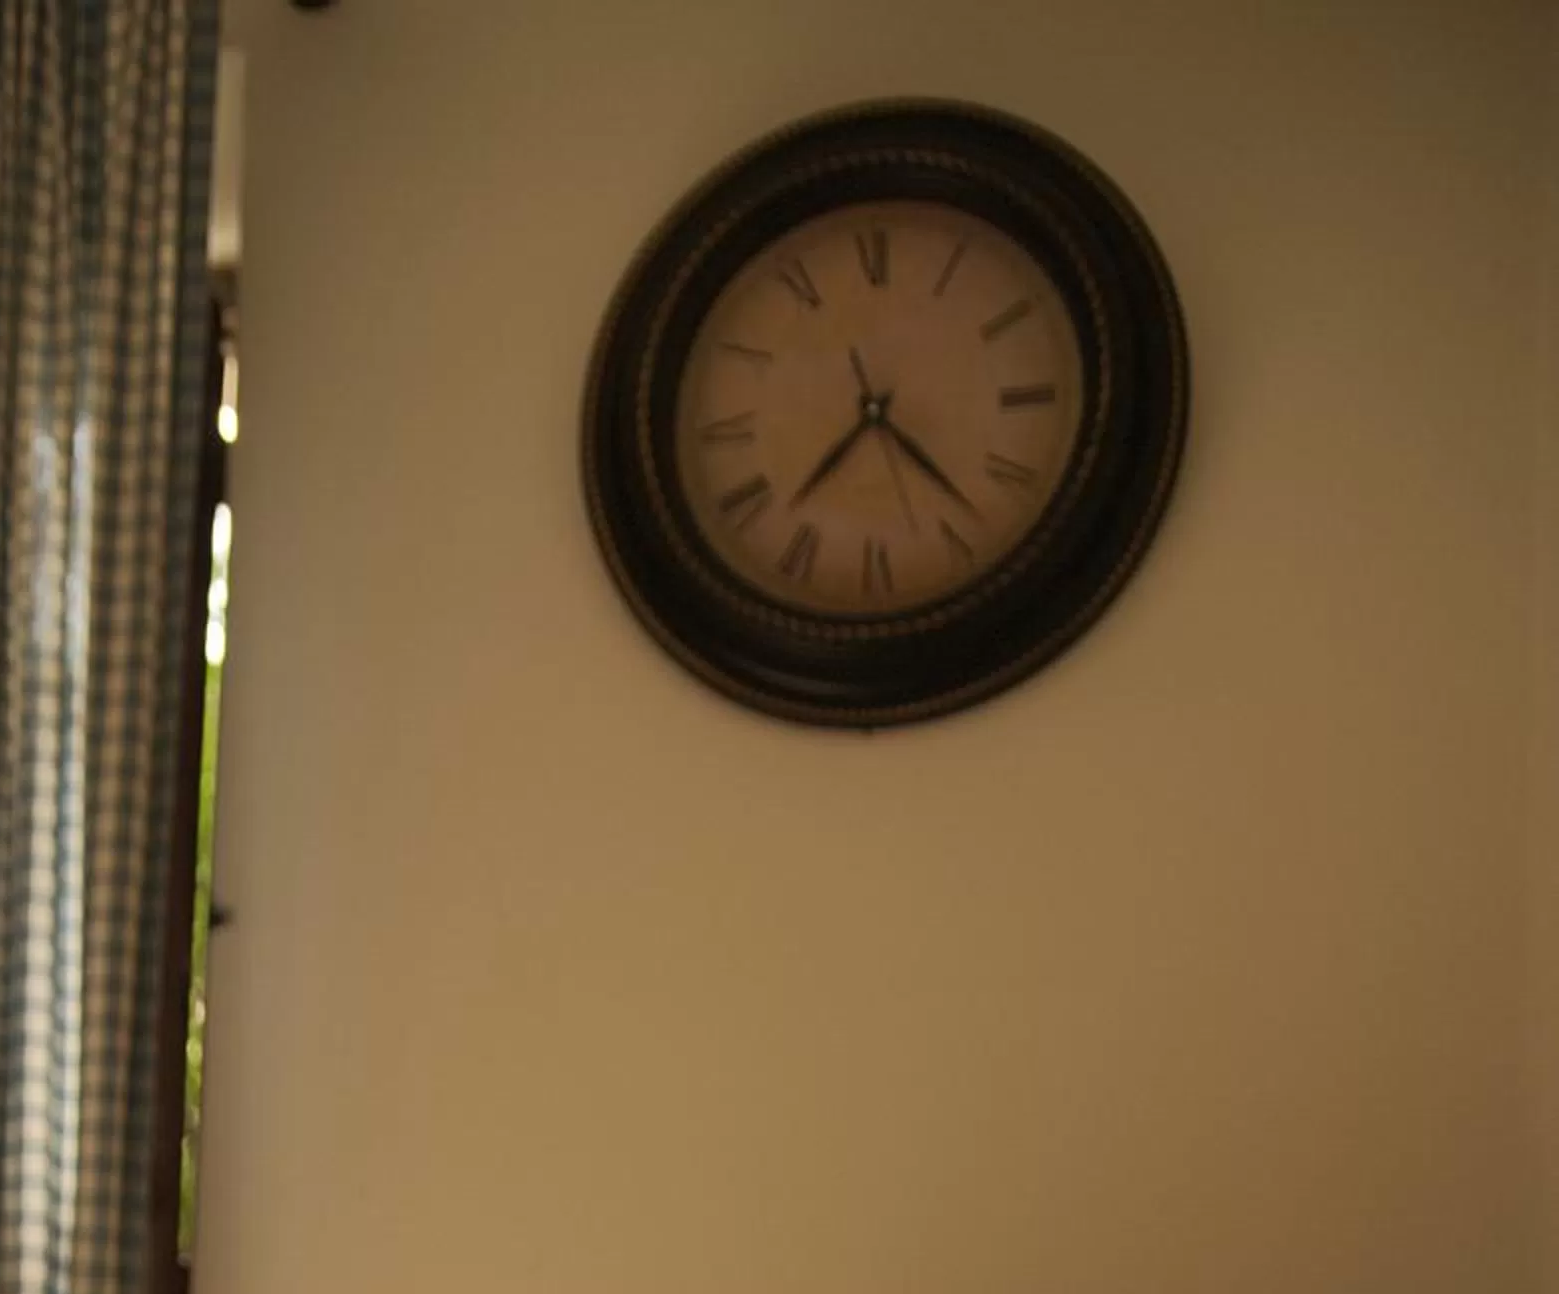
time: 7:23
